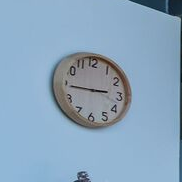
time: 2:44
